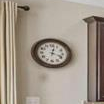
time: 12:18
